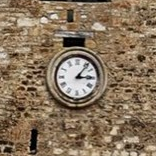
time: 3:06
